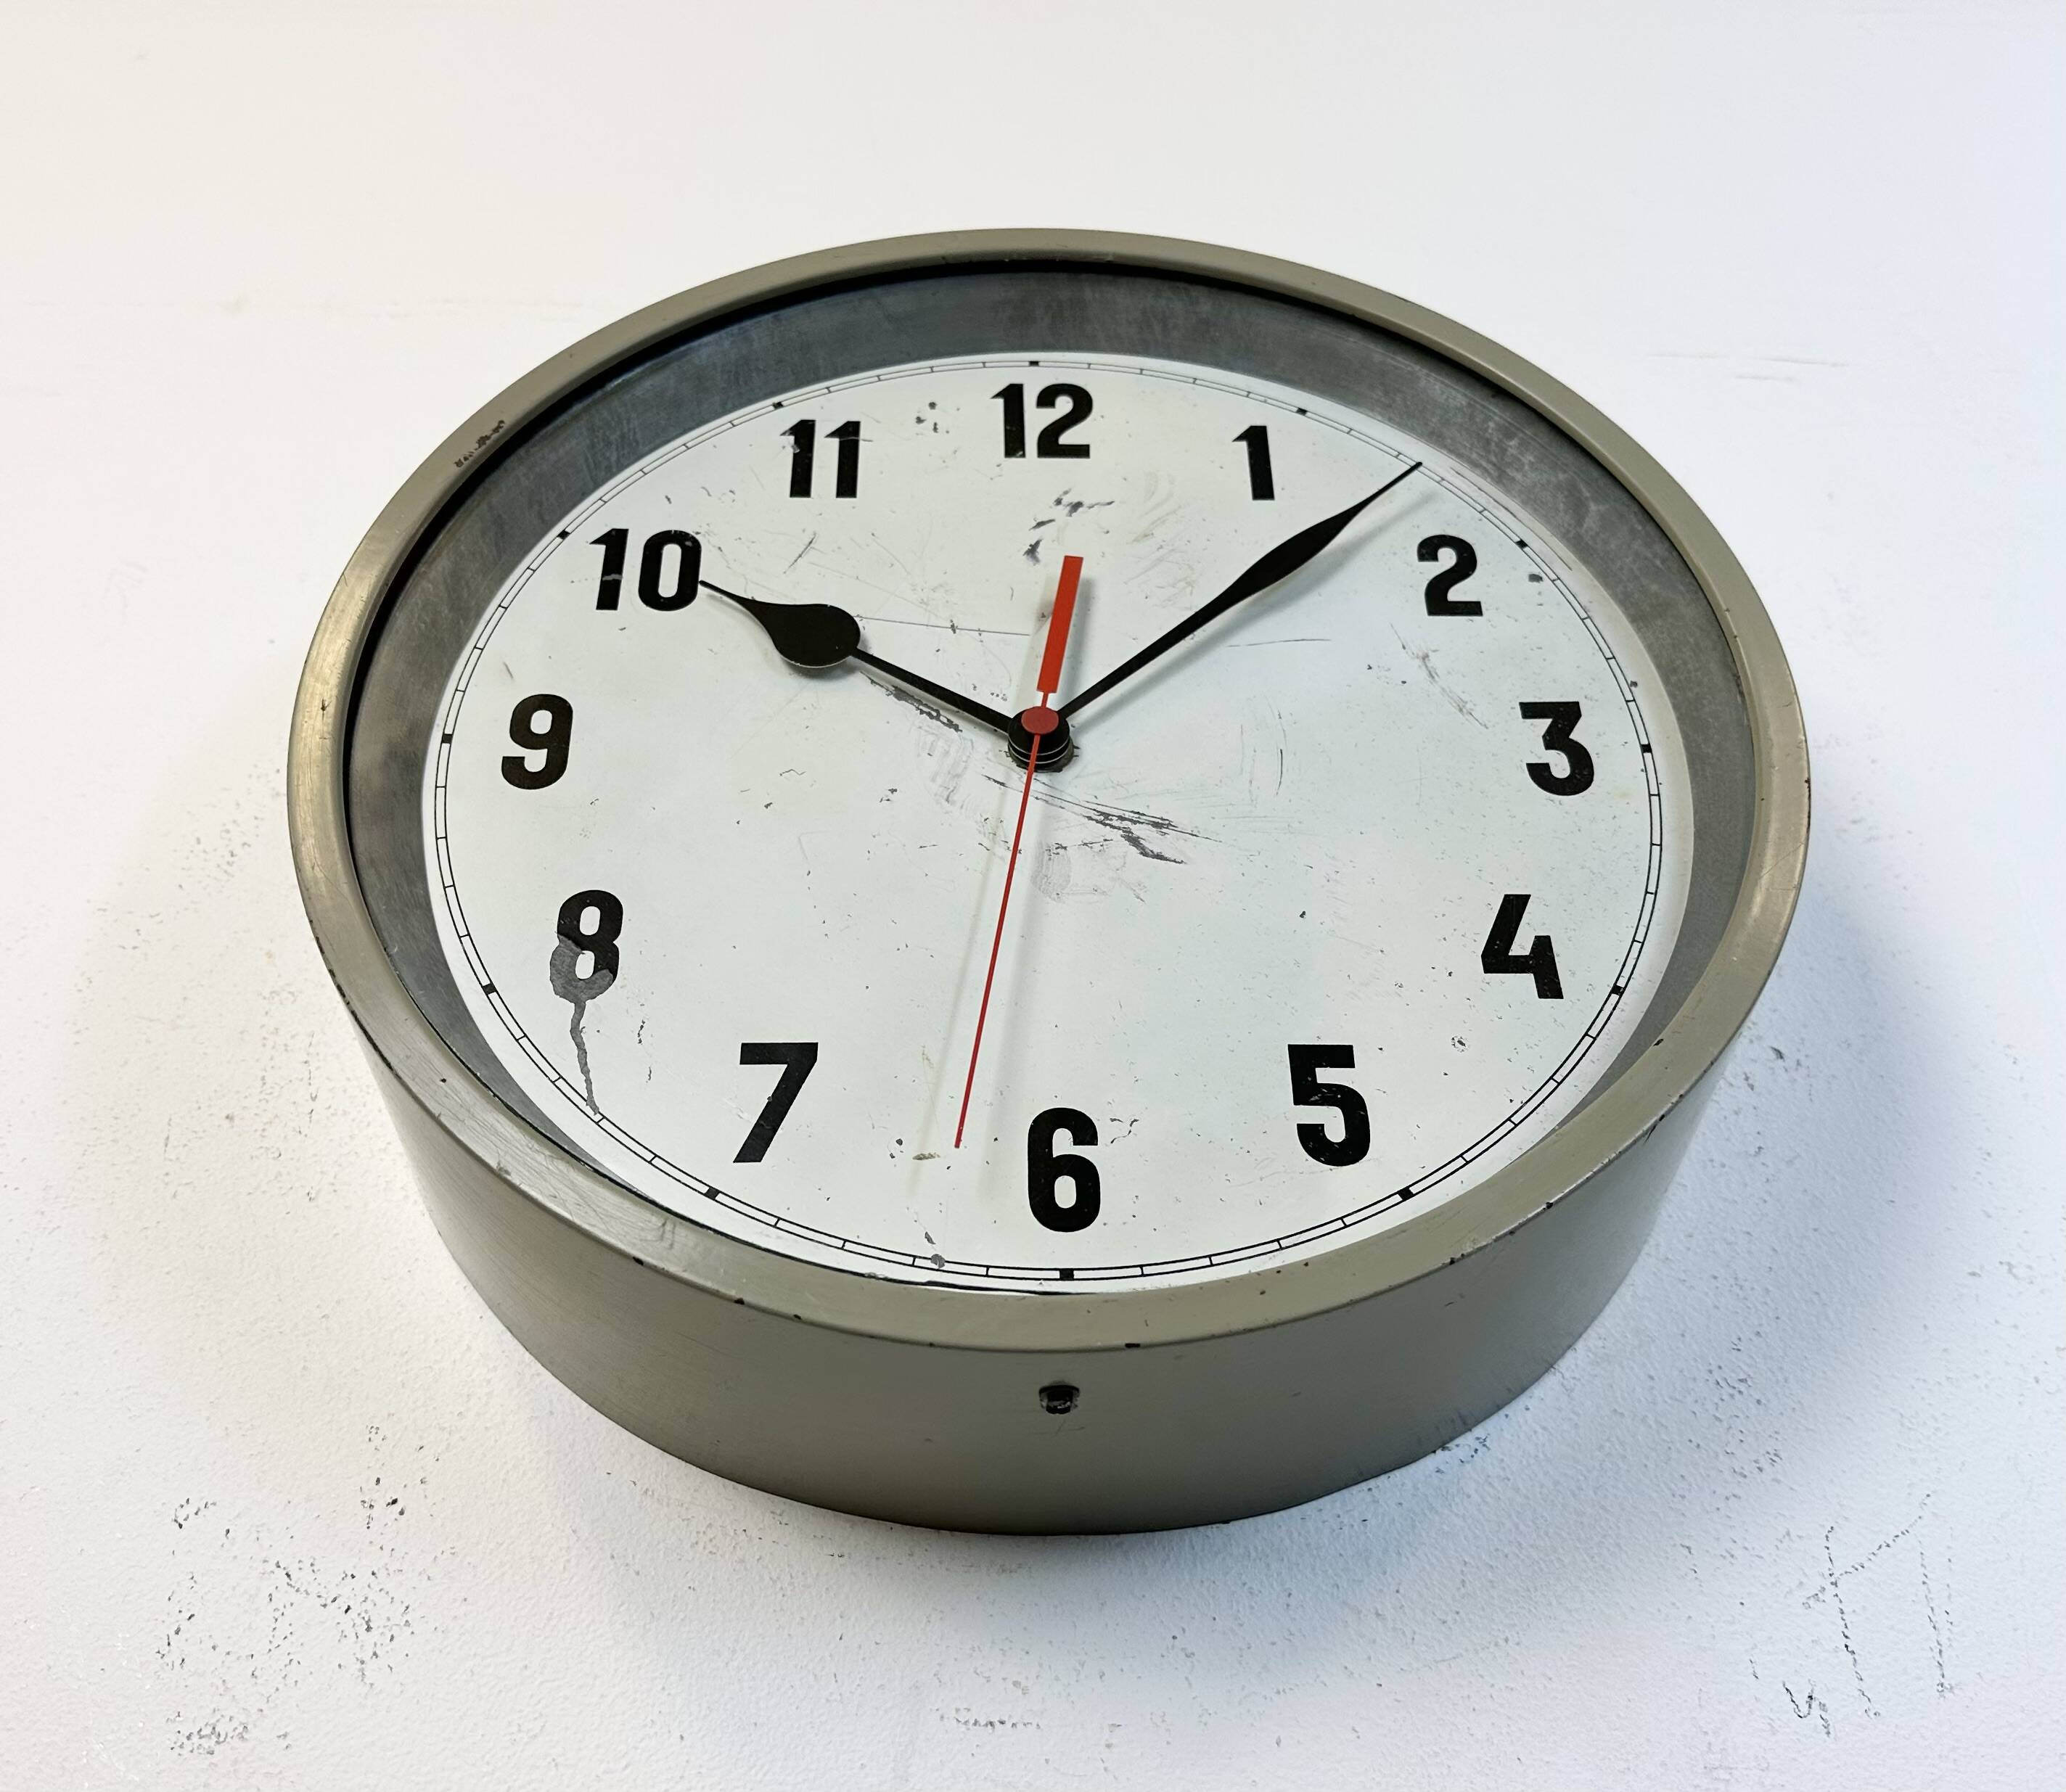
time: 10:07
